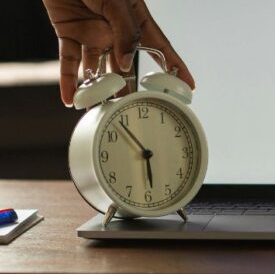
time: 5:53
